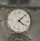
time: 4:07
